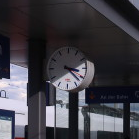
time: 3:22
